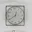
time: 12:39
